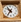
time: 10:36
